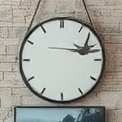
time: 2:12
